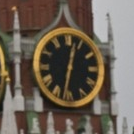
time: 12:32
